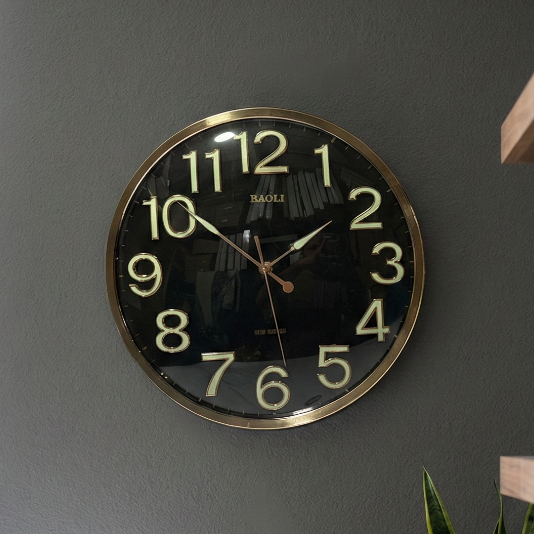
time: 1:51
